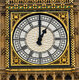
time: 1:00
